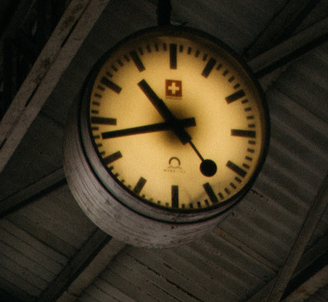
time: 10:42
